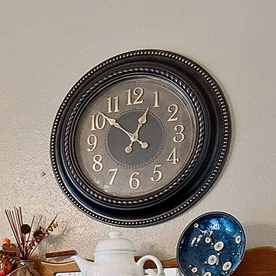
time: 12:51
